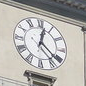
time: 12:21
